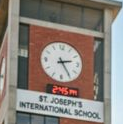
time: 2:24
